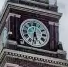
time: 5:31
